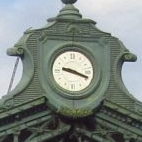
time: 9:18
